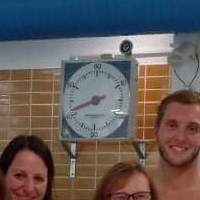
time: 8:42
